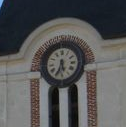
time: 5:34
